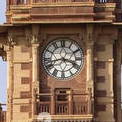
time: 3:42
